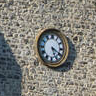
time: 5:19
